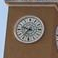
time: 9:36
